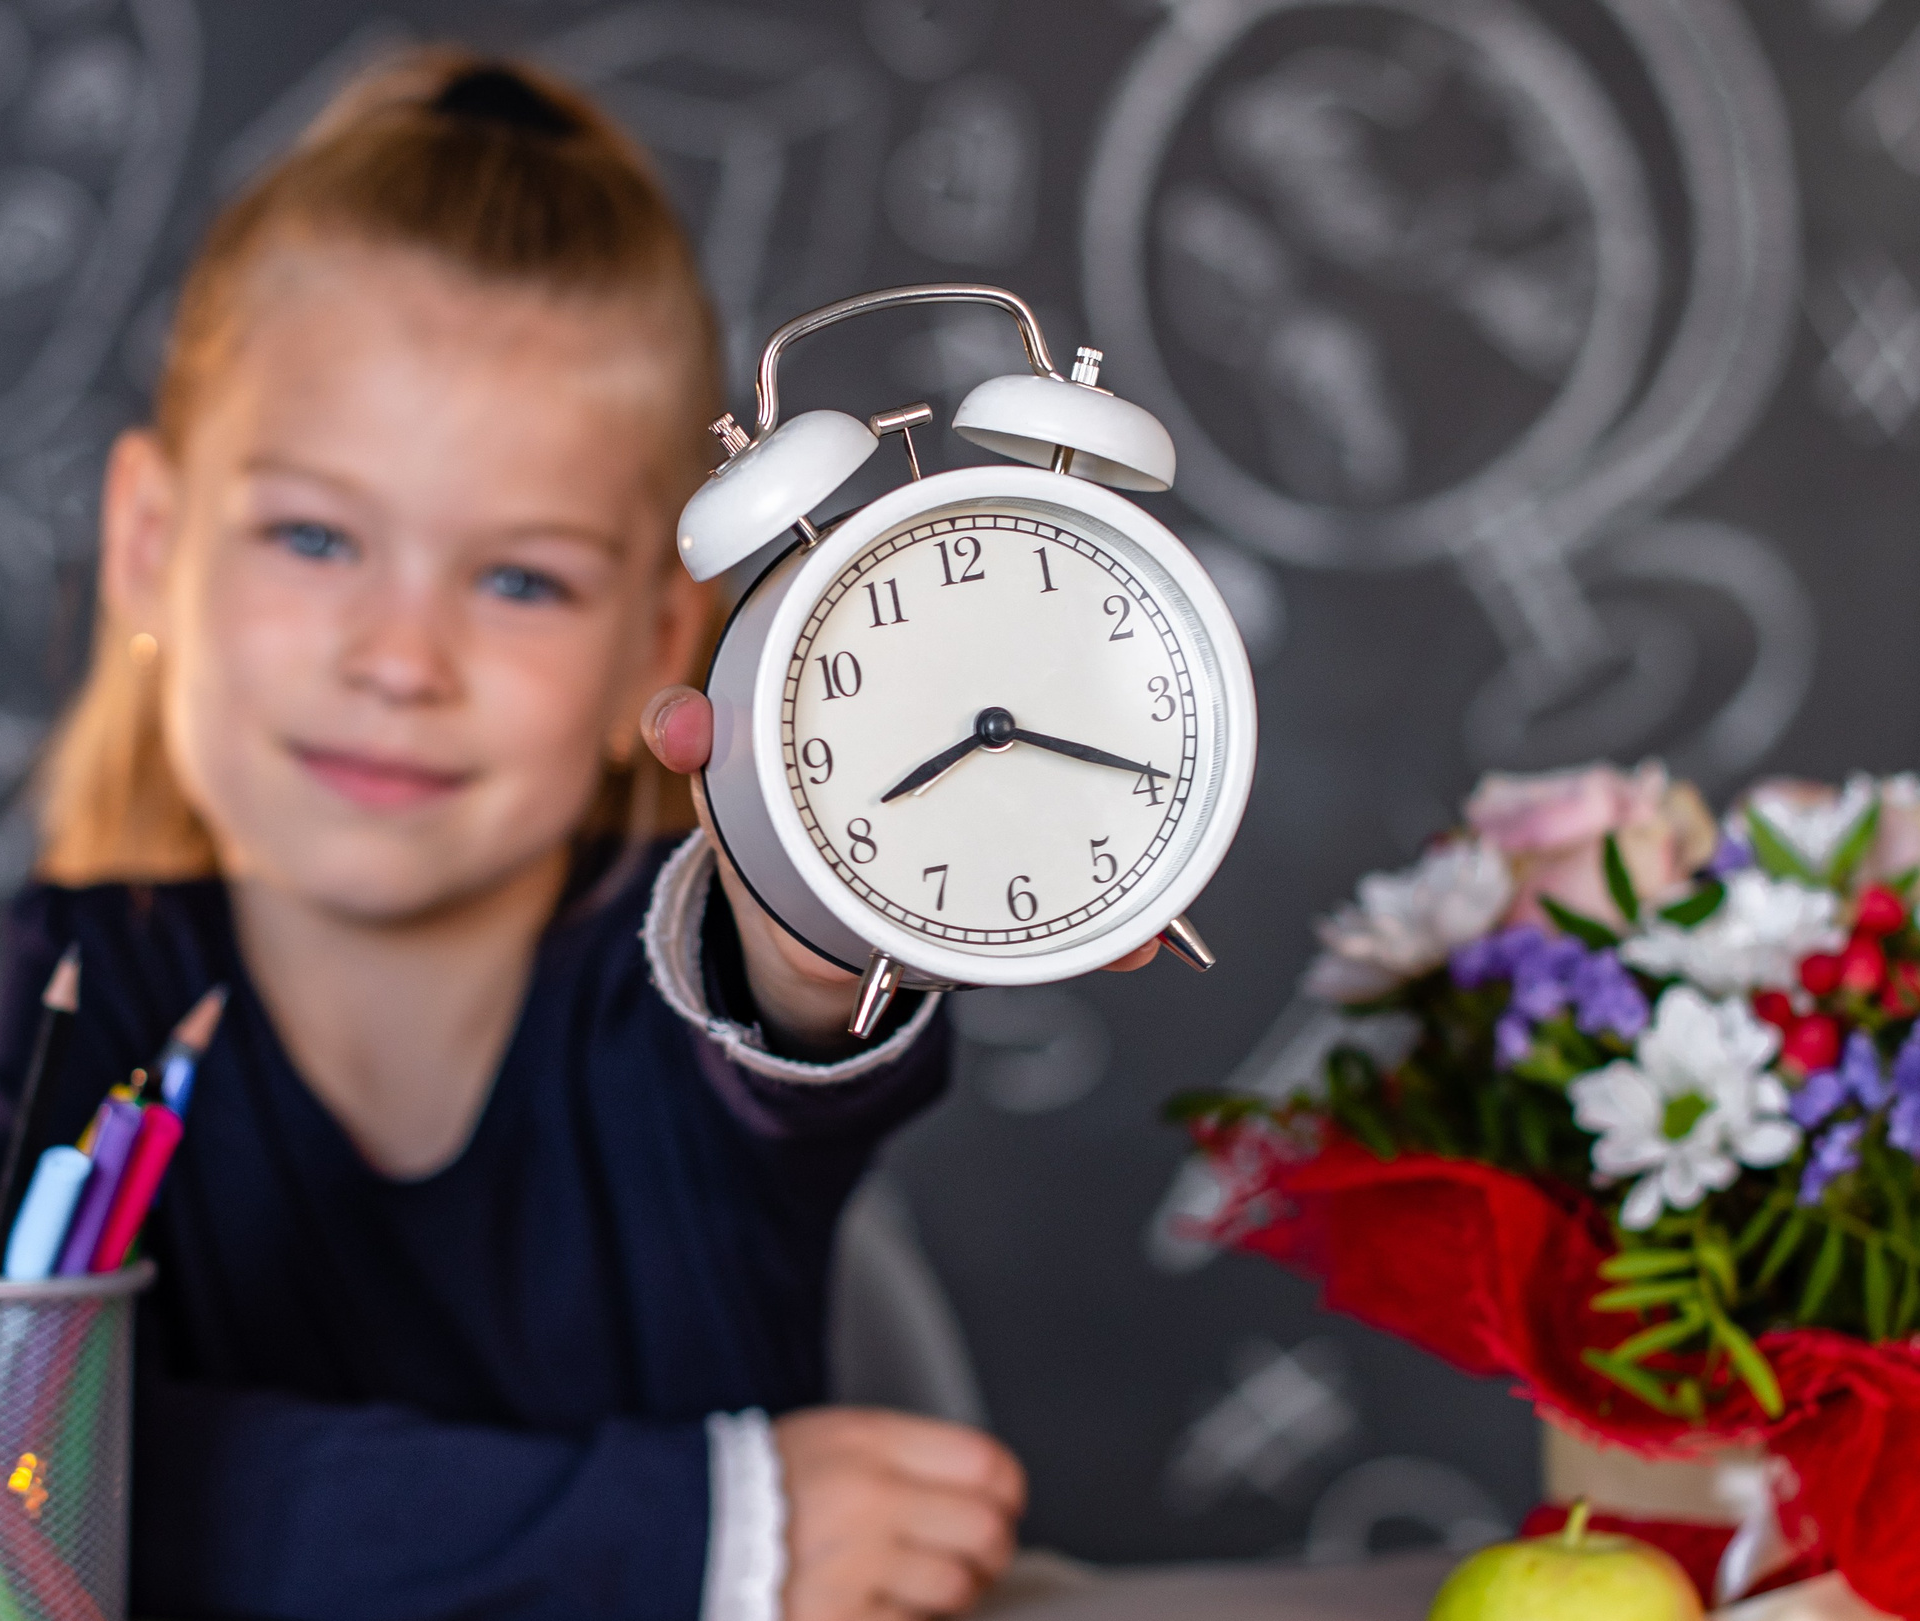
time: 8:19
